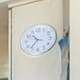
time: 10:36
